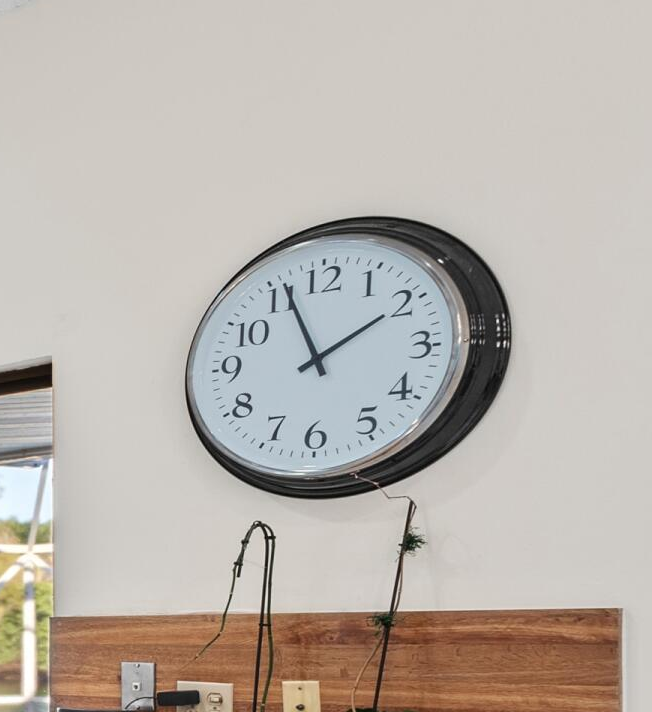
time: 1:56
